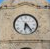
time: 6:23
